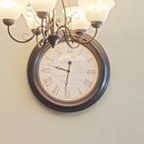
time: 9:31
